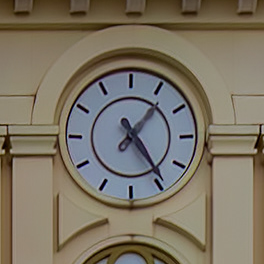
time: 1:24
